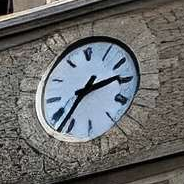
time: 2:36
